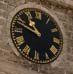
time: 10:48
